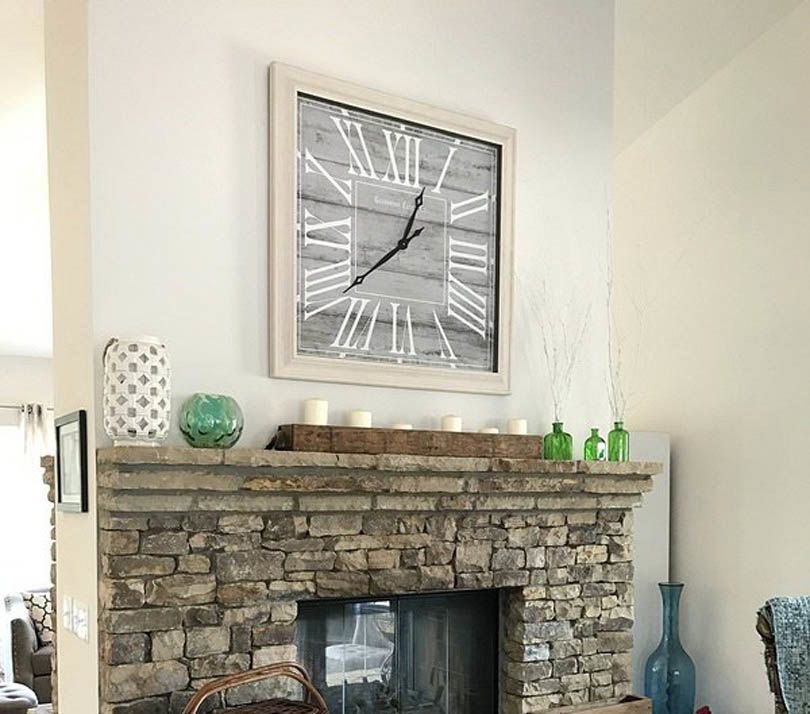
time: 12:38
